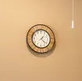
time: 1:21
